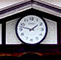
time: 1:47
